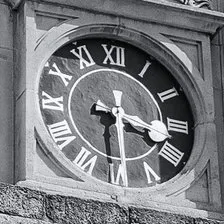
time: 3:29
